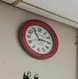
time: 2:54
